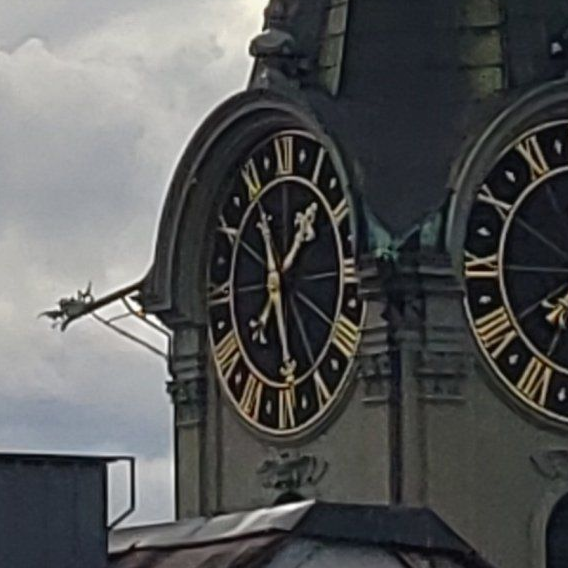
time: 1:28
